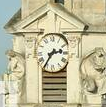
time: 2:35
